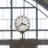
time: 3:38
